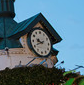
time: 9:41
